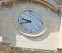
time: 9:42
